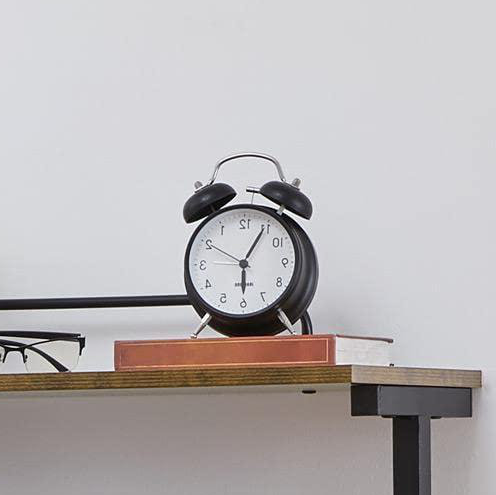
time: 6:05
